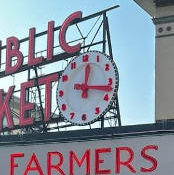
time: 12:17
